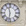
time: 11:32
